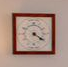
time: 4:20
